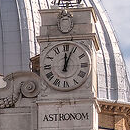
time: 12:03
